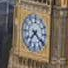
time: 7:20
